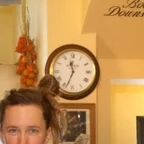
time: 11:33
